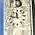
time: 11:46
